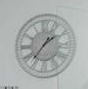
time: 1:36
